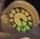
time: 3:27
